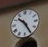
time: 10:25
